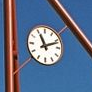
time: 11:11
